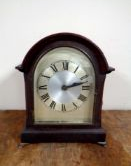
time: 2:12
